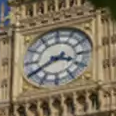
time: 3:40
